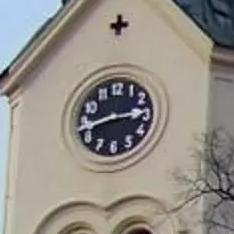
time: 2:42
